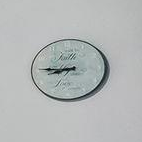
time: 8:45
